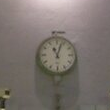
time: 11:03
